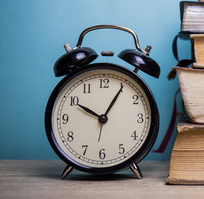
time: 10:05
